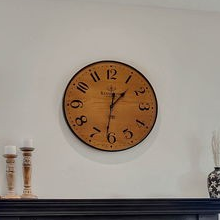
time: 1:31
